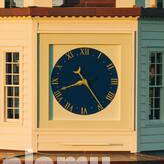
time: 8:24
